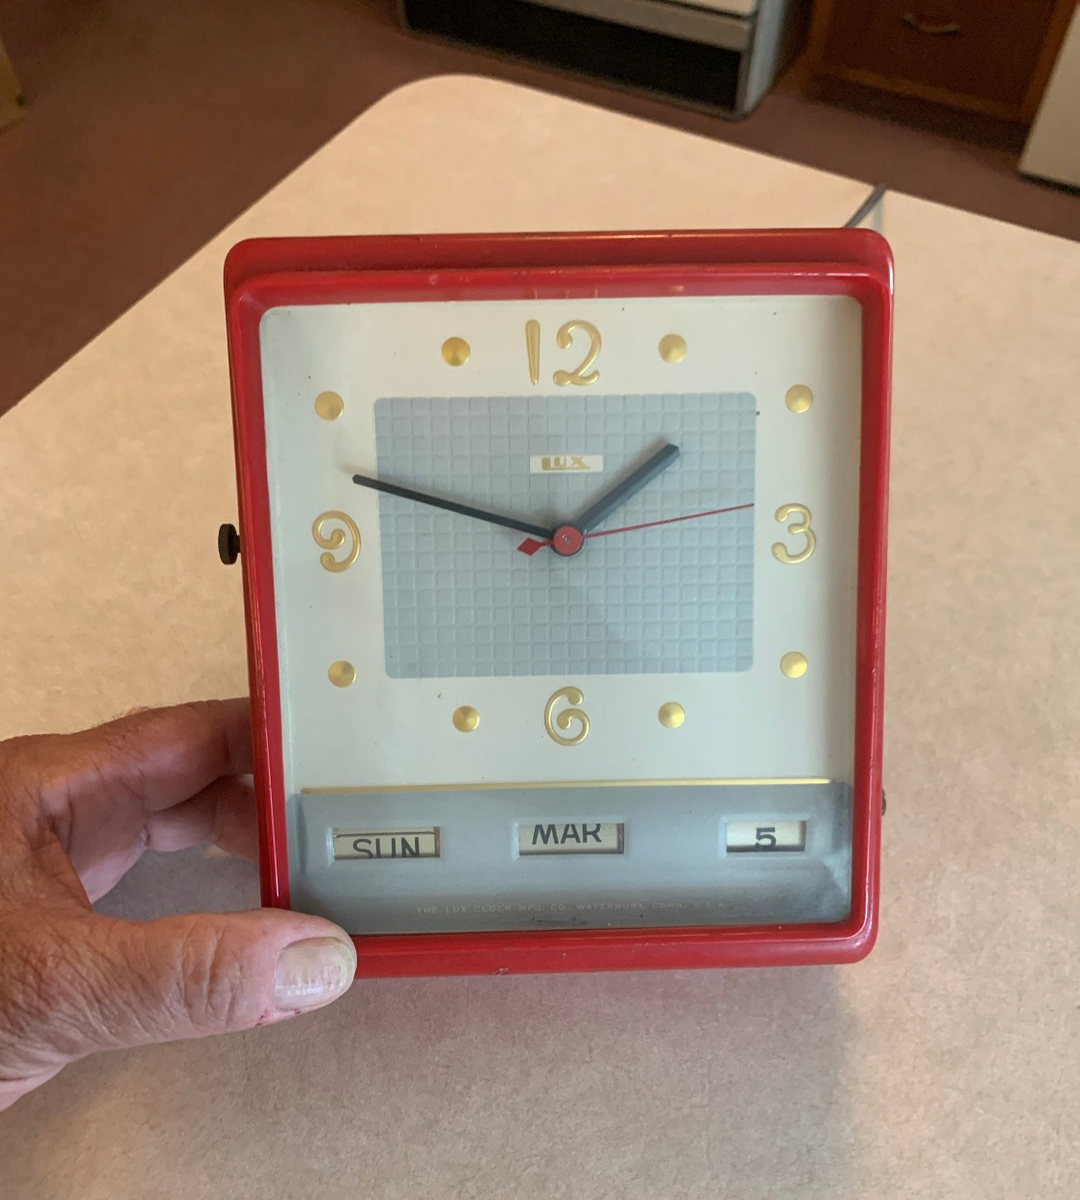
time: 1:47
